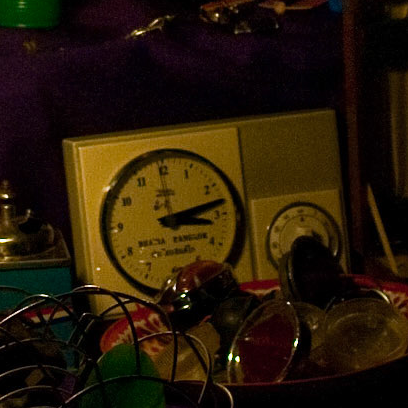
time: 3:13
